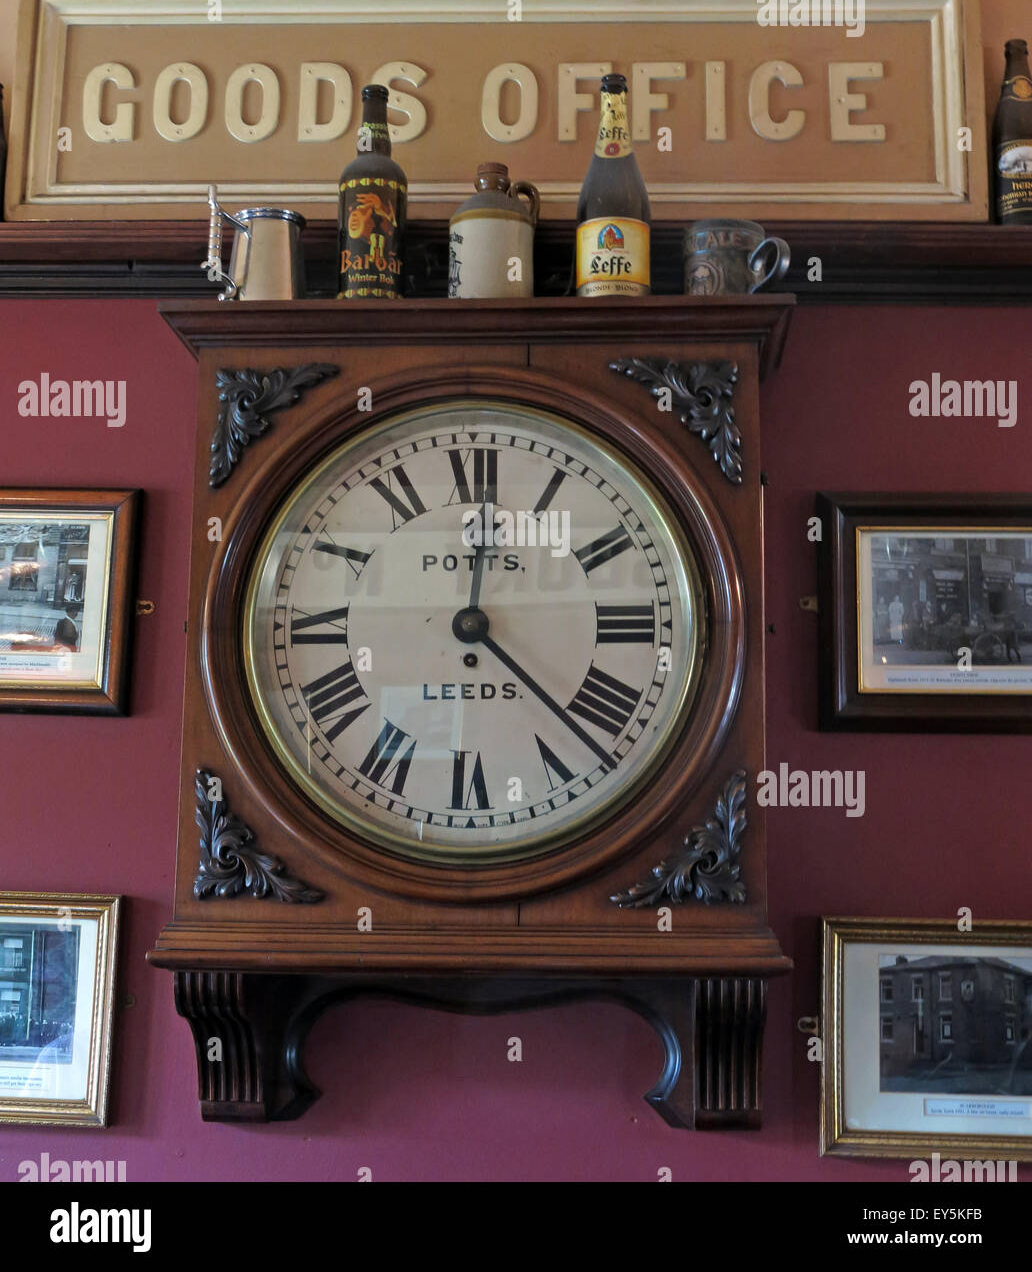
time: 12:22
